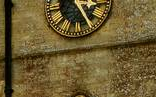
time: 2:24
